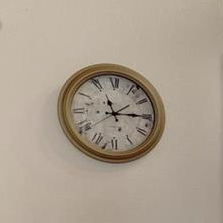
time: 11:14
